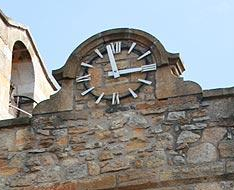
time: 2:58
